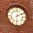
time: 6:10
